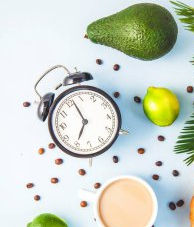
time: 6:56
